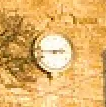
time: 2:44
